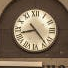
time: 8:23
